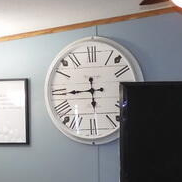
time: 5:44
